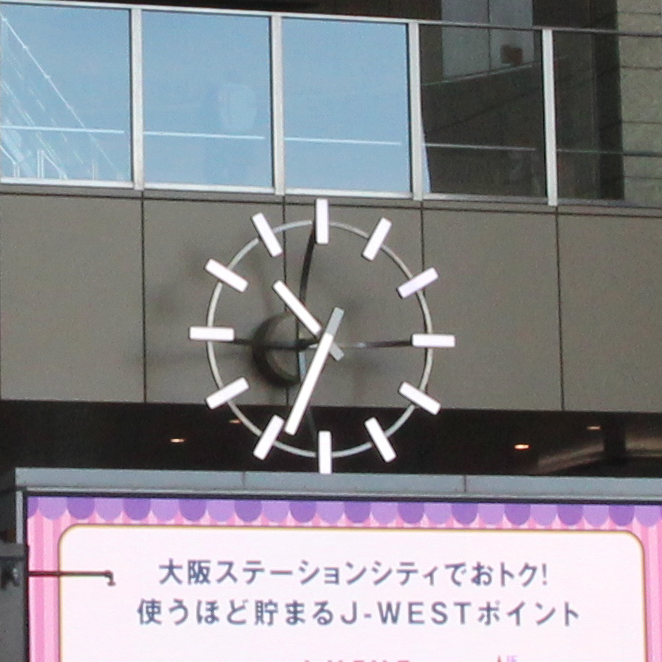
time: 10:34
